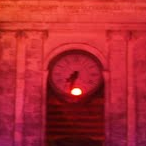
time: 7:32
